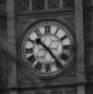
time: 10:23
